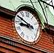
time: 8:49
